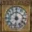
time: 5:59
